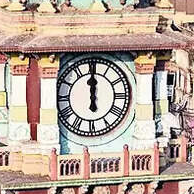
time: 11:59
